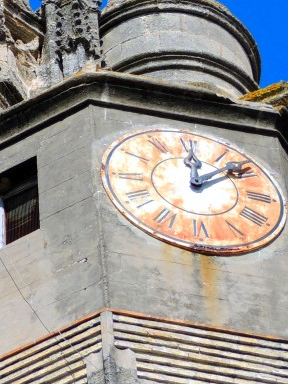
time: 12:08
